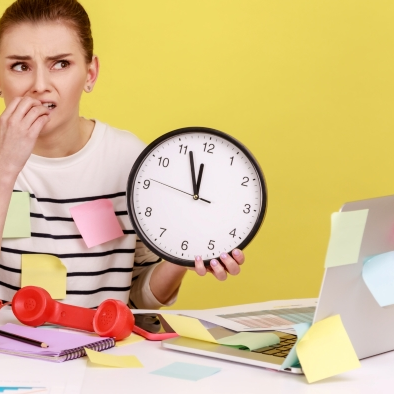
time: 11:56
